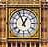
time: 12:56
